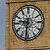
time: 9:31
